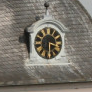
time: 3:29
